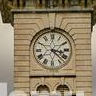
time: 3:22
